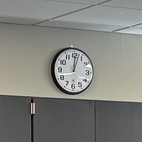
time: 12:02
